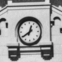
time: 12:39
